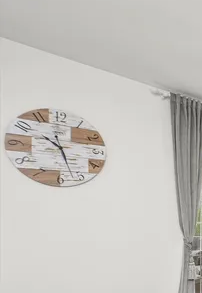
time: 10:26
